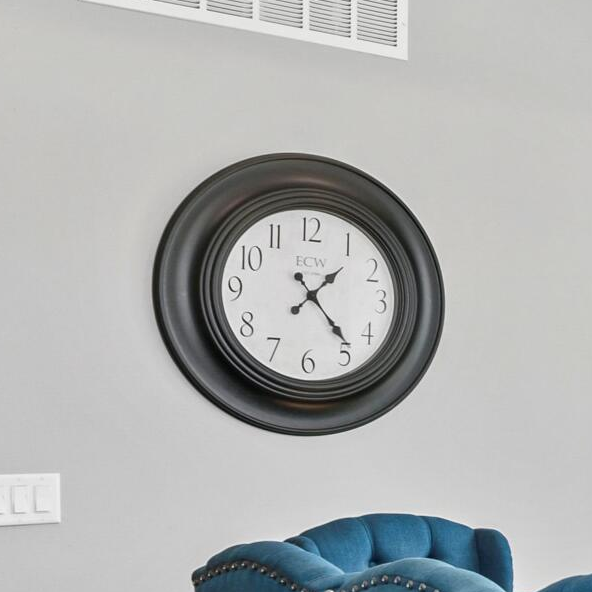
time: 1:23
